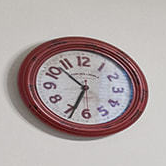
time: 10:33
